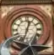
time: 12:32
